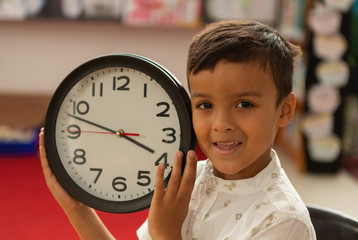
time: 3:47
